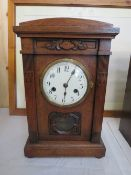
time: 6:05
